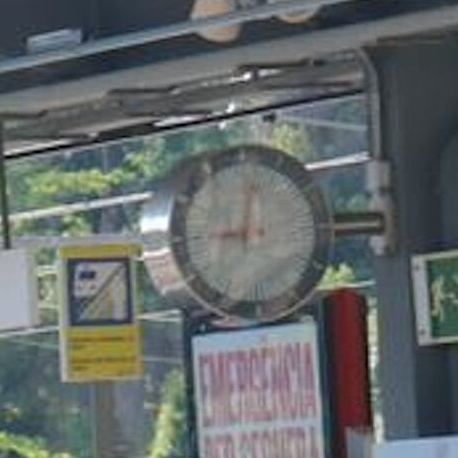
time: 9:01
